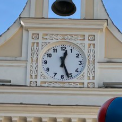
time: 12:26
